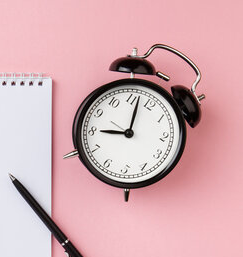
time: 9:01
